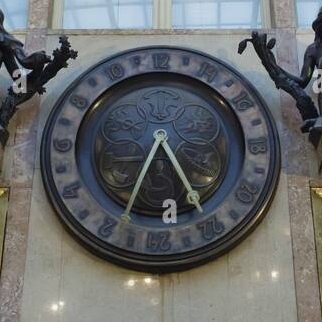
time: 5:34
